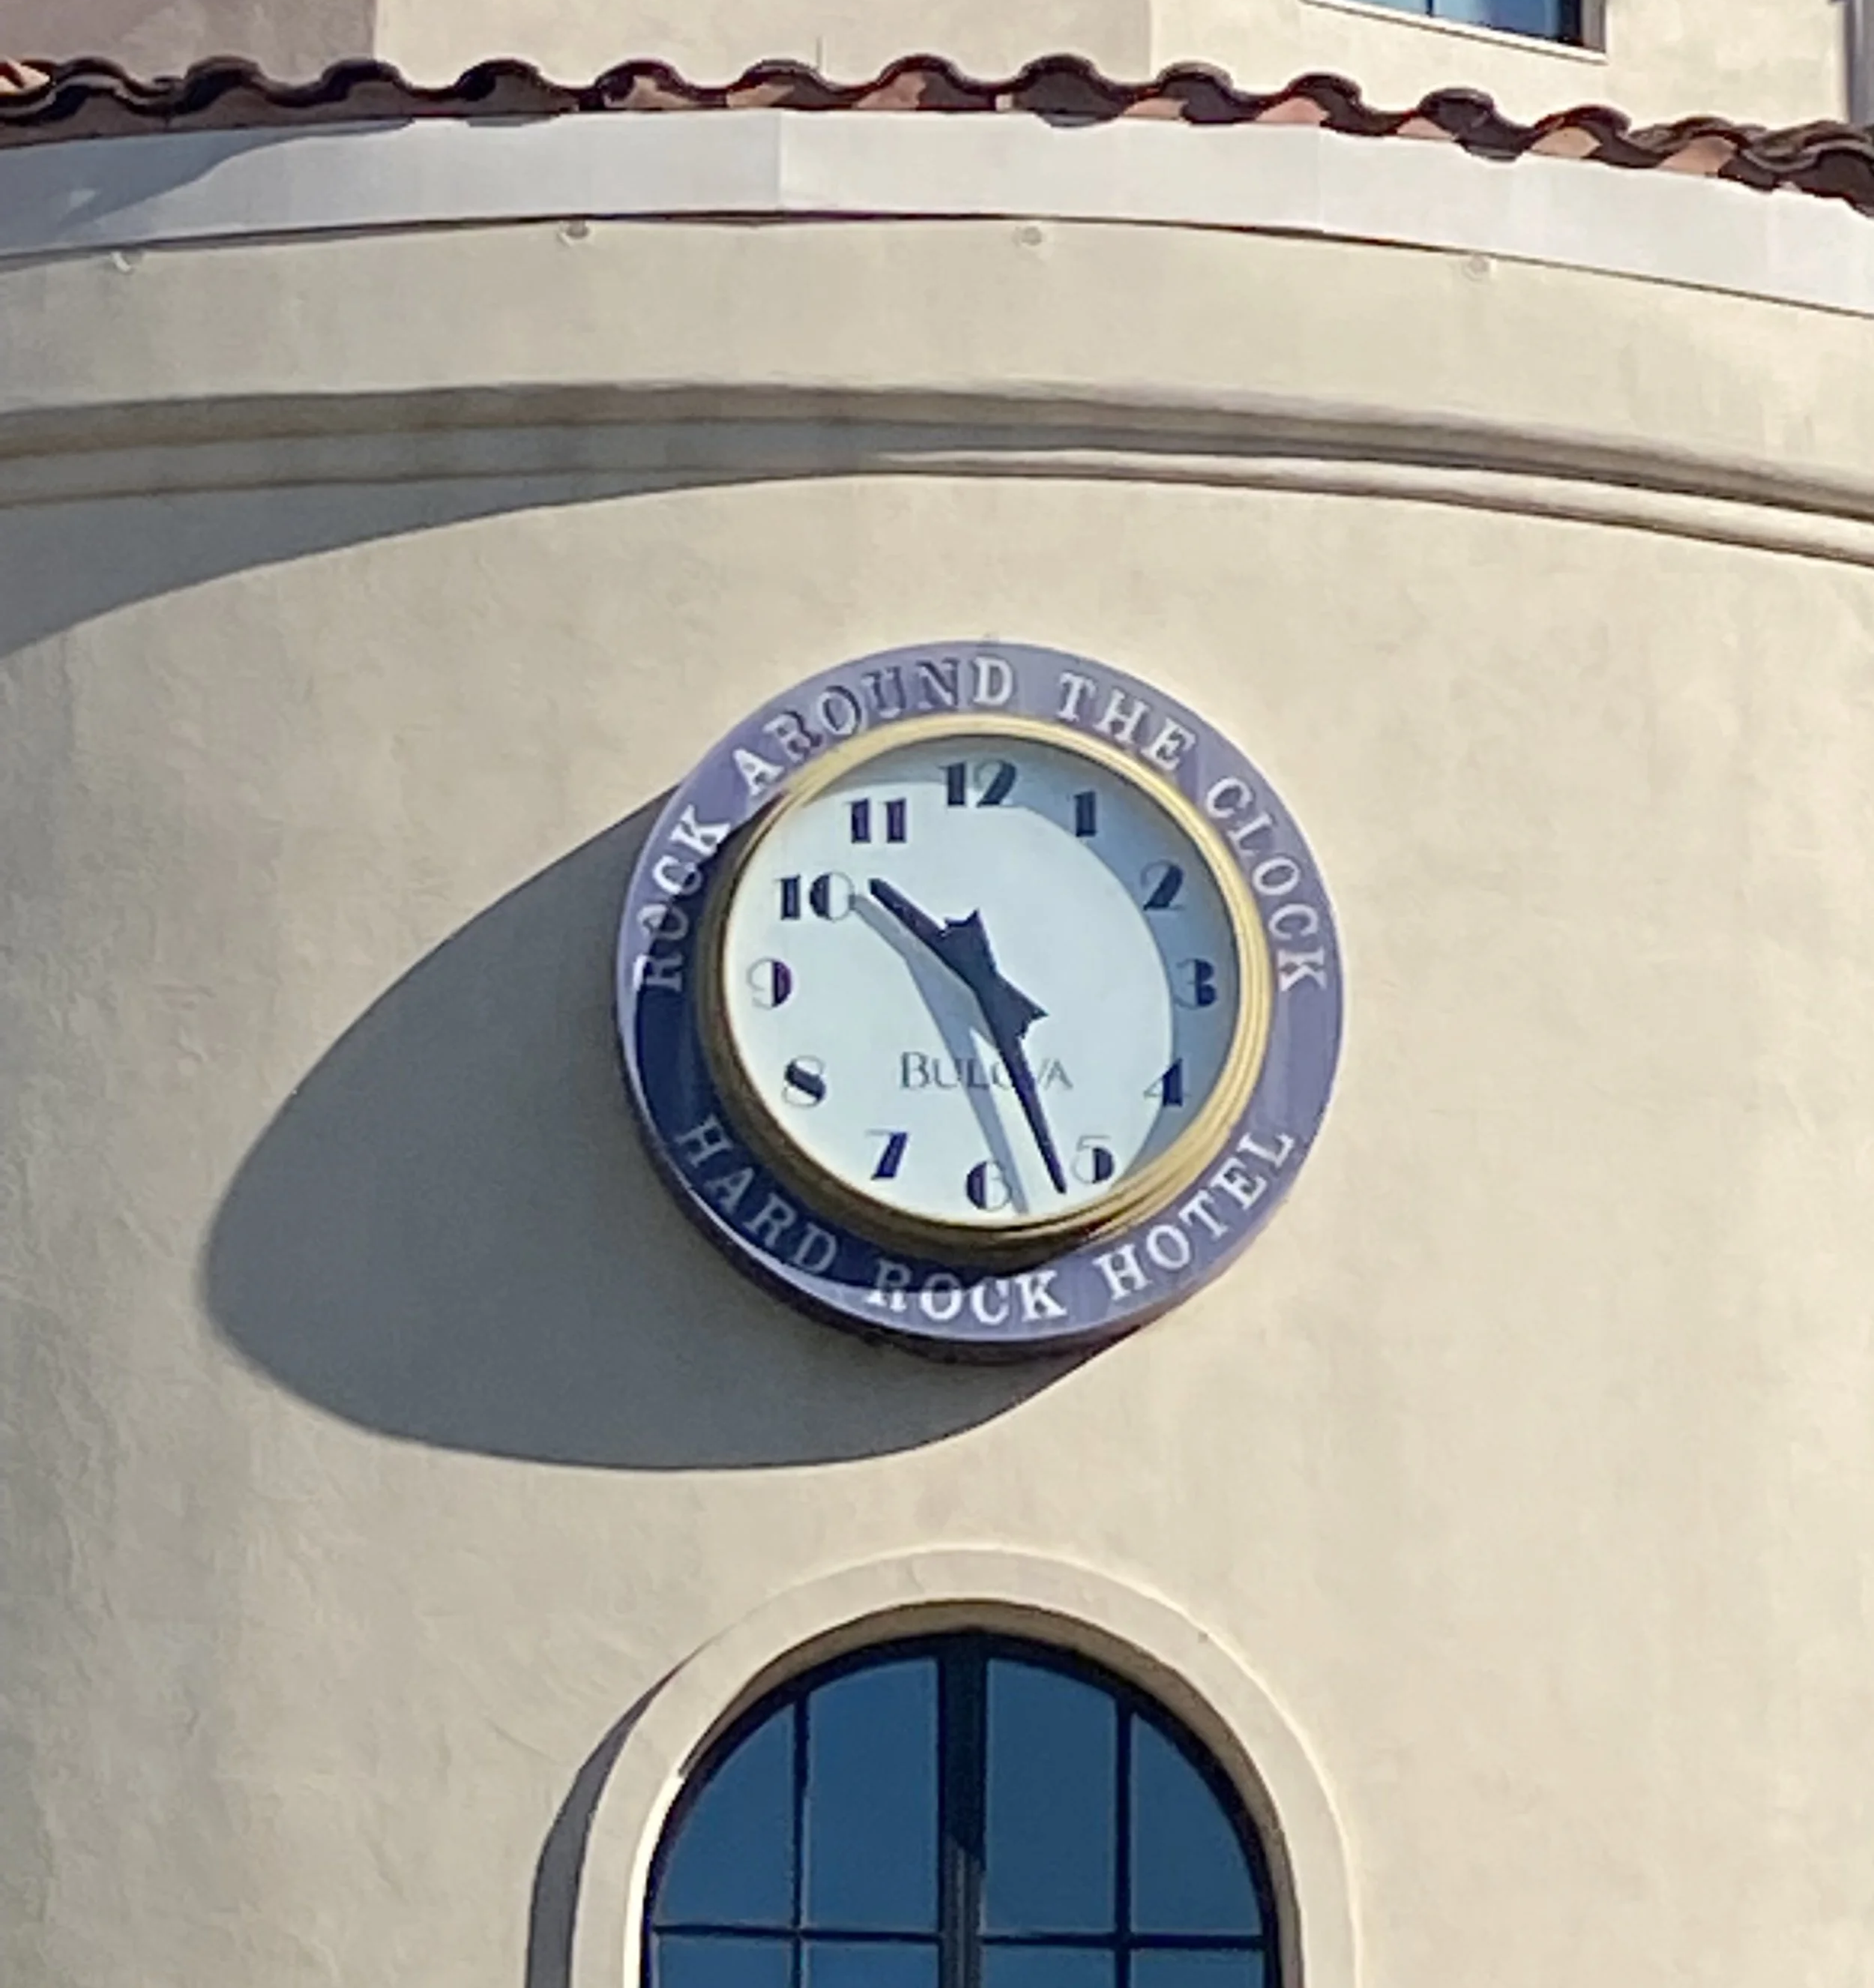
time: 10:26
